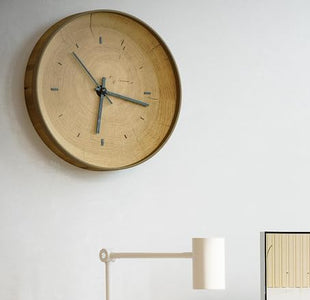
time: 6:17
